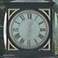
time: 6:01
